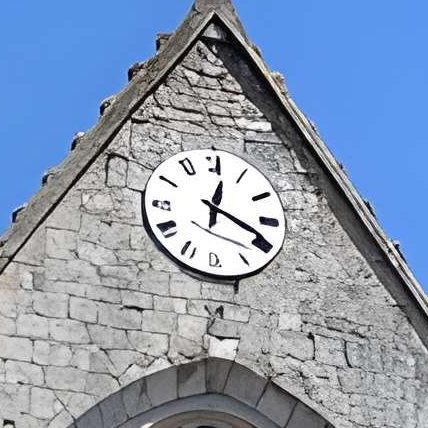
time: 12:19
